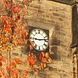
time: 9:13
